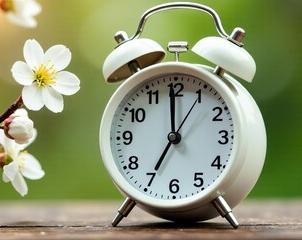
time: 6:59
